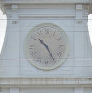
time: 10:24
